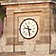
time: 9:27
